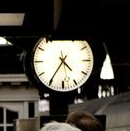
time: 4:35
